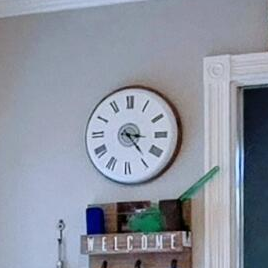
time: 3:23
